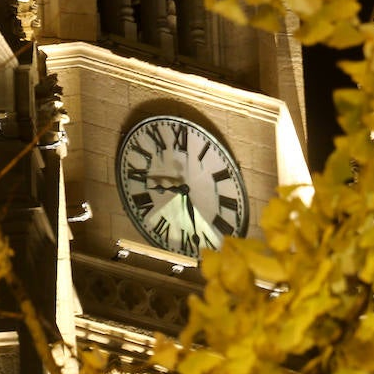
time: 8:27
